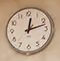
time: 12:12
